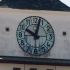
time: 10:02
